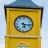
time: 5:16
